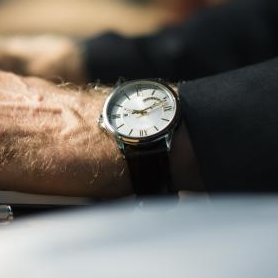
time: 9:11
